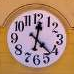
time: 12:22
